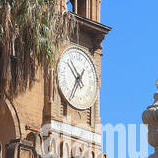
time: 1:35
